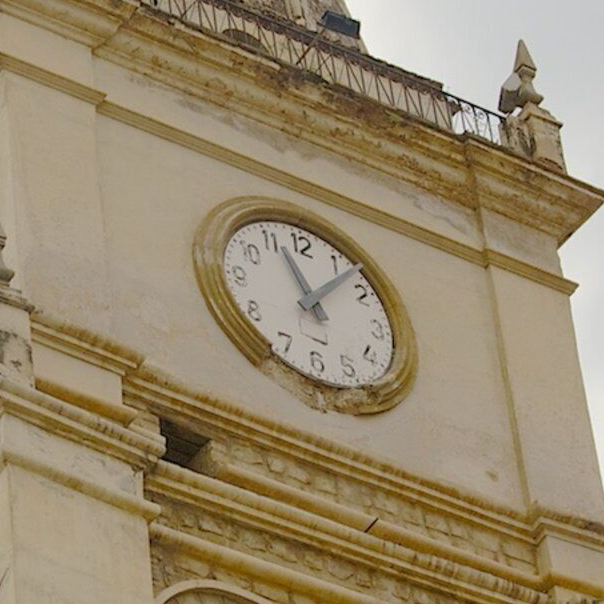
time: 11:07
